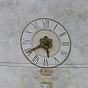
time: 5:40
